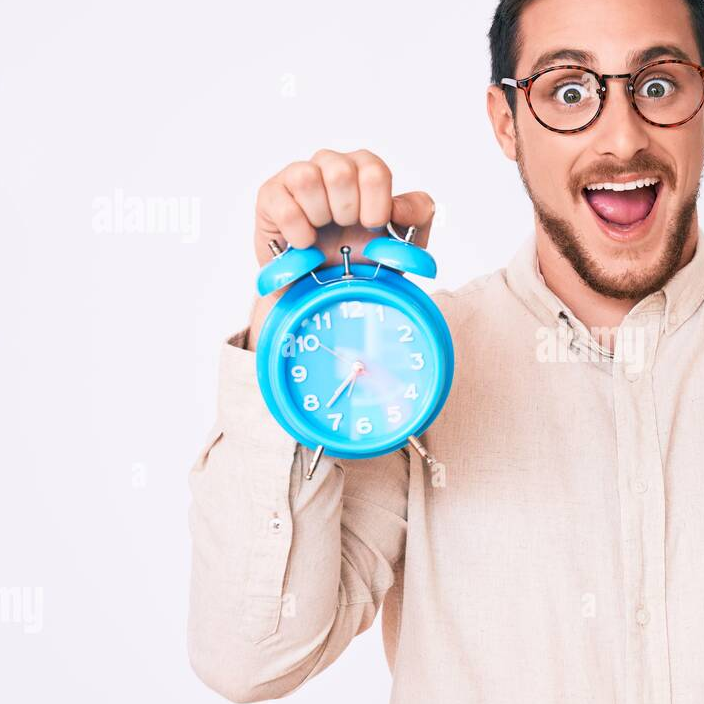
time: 7:37
